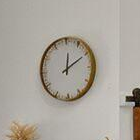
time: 12:10
